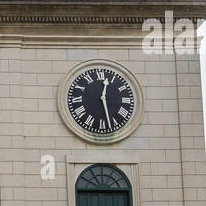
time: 12:27
